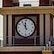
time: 11:54
